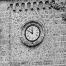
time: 11:49
